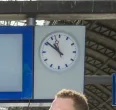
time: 10:51
